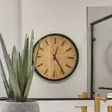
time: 12:24
